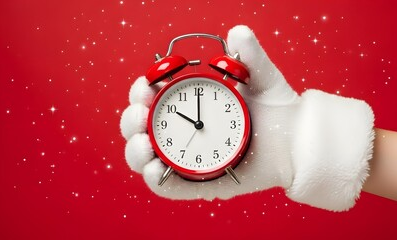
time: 10:00
